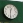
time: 12:30
